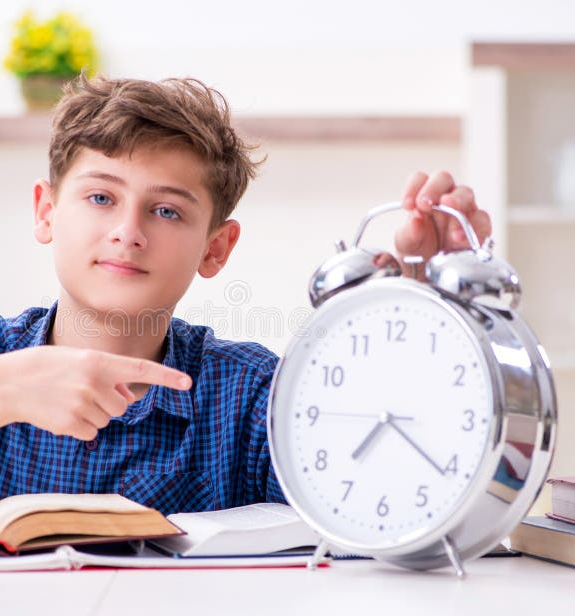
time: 7:21
